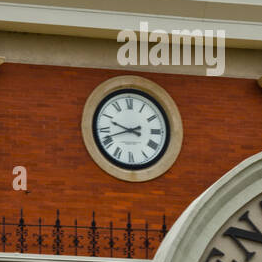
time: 9:41
